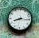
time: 8:15
